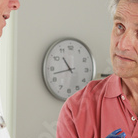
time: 10:42
